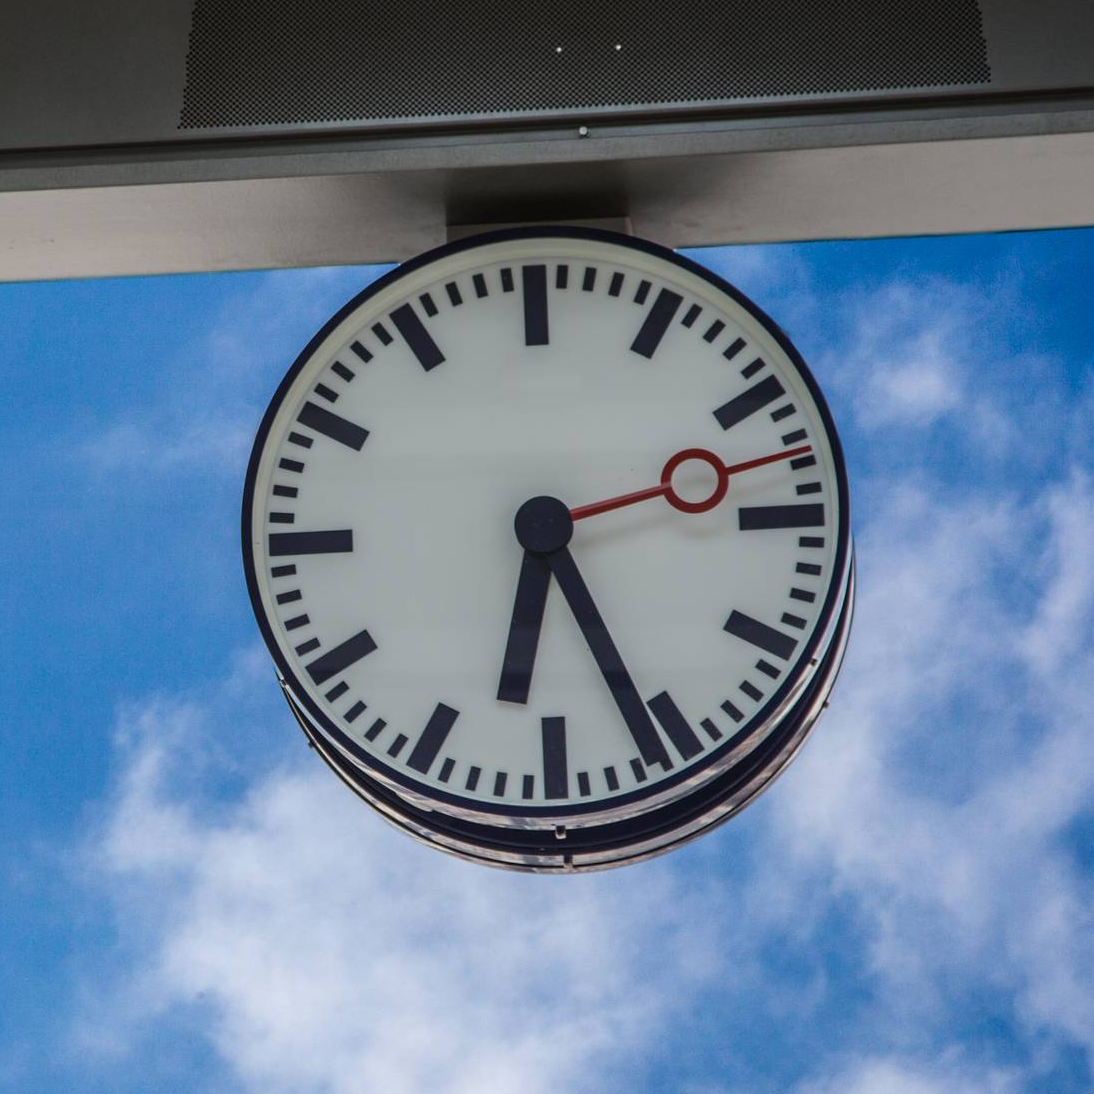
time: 6:26
